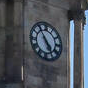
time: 4:54
